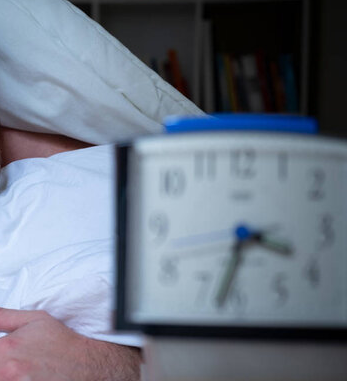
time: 3:32
